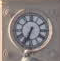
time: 6:34
